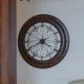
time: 3:40
